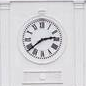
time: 2:38
